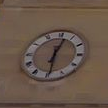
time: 12:29
